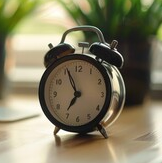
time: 6:56
